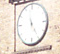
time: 11:24
